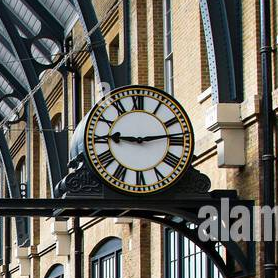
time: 9:13
